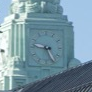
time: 9:25
